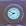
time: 7:49
